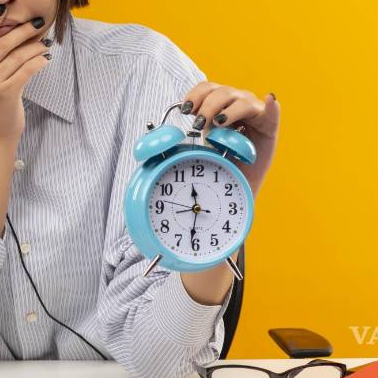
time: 11:30
